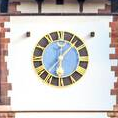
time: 6:07
